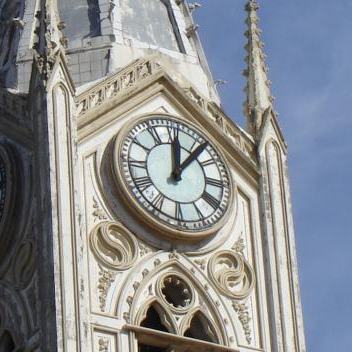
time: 12:07
